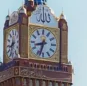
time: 8:32
